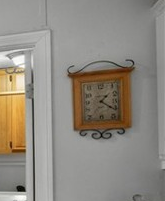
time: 1:20
